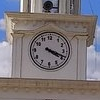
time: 4:18
